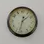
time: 1:32
